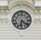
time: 6:21
